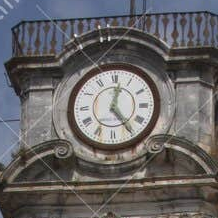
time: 12:24
